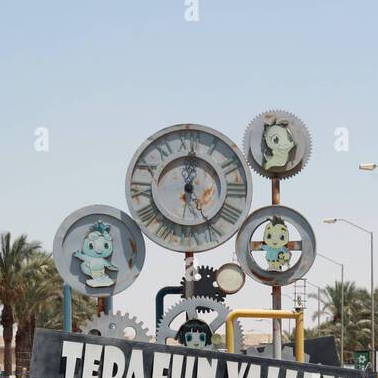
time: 1:01
